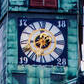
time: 12:14
